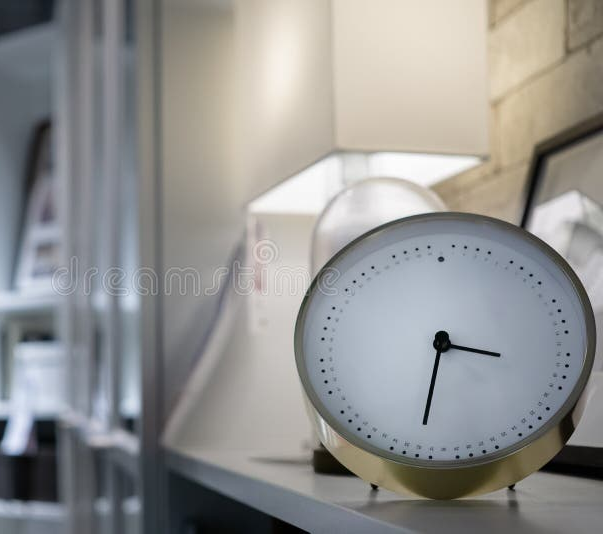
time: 3:32
